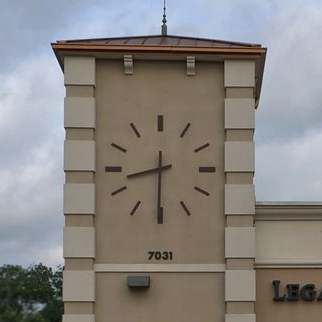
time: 8:30
